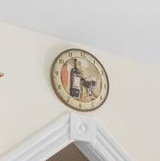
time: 3:22
